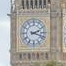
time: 2:18
